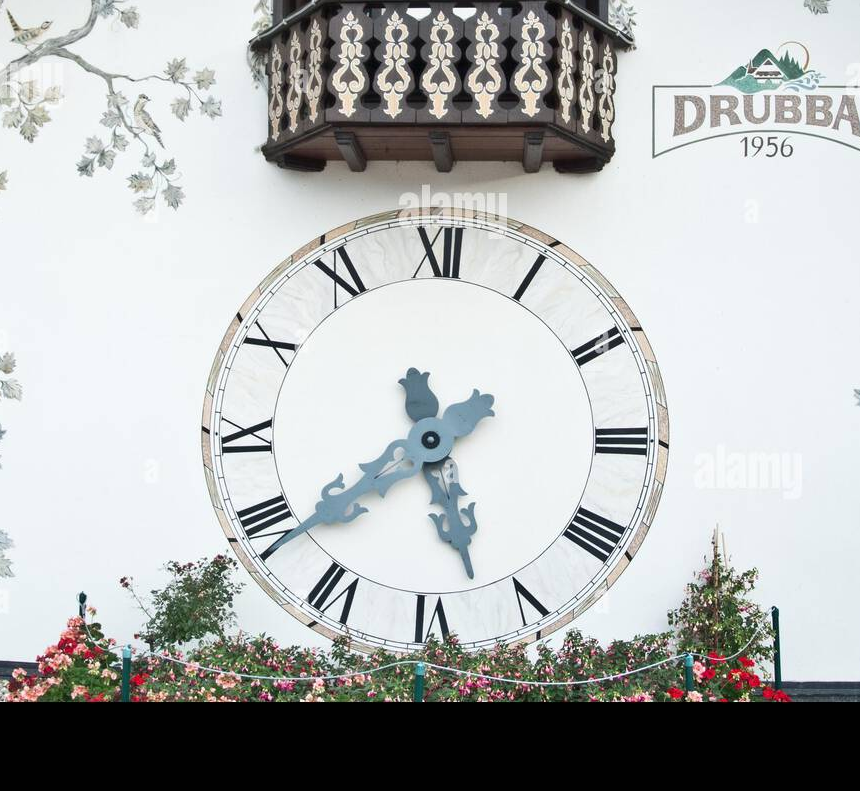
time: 5:38
